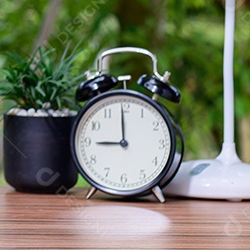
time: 8:59
